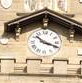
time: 10:18
